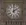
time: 2:00
